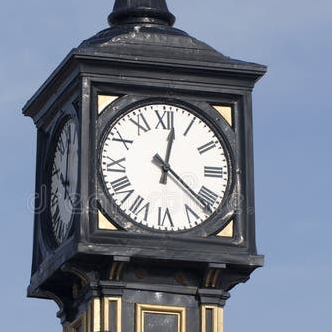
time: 12:21
